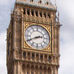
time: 2:40
